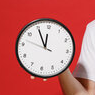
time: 11:55
